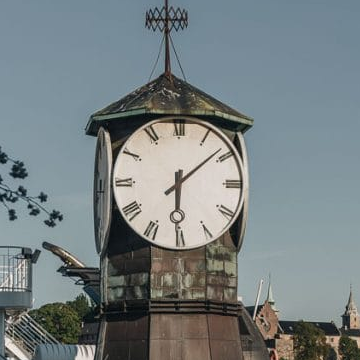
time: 6:08
